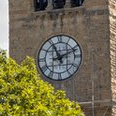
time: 11:11
